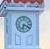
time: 6:19
